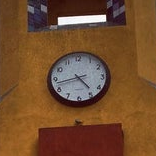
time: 4:42
